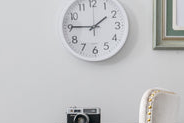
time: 1:45
